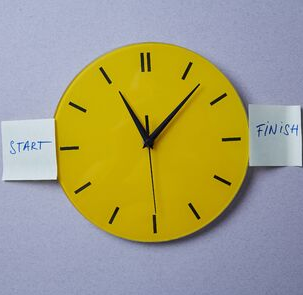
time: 11:07
